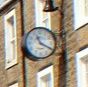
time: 11:19
